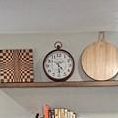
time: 4:29
